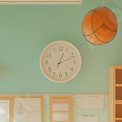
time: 1:11
